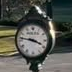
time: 3:46
